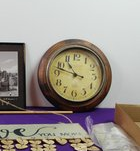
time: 10:47
